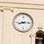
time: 8:15
